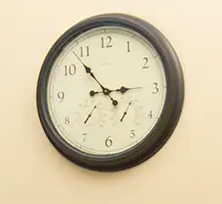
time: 2:53
